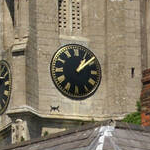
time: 1:08
